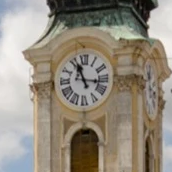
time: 11:16
